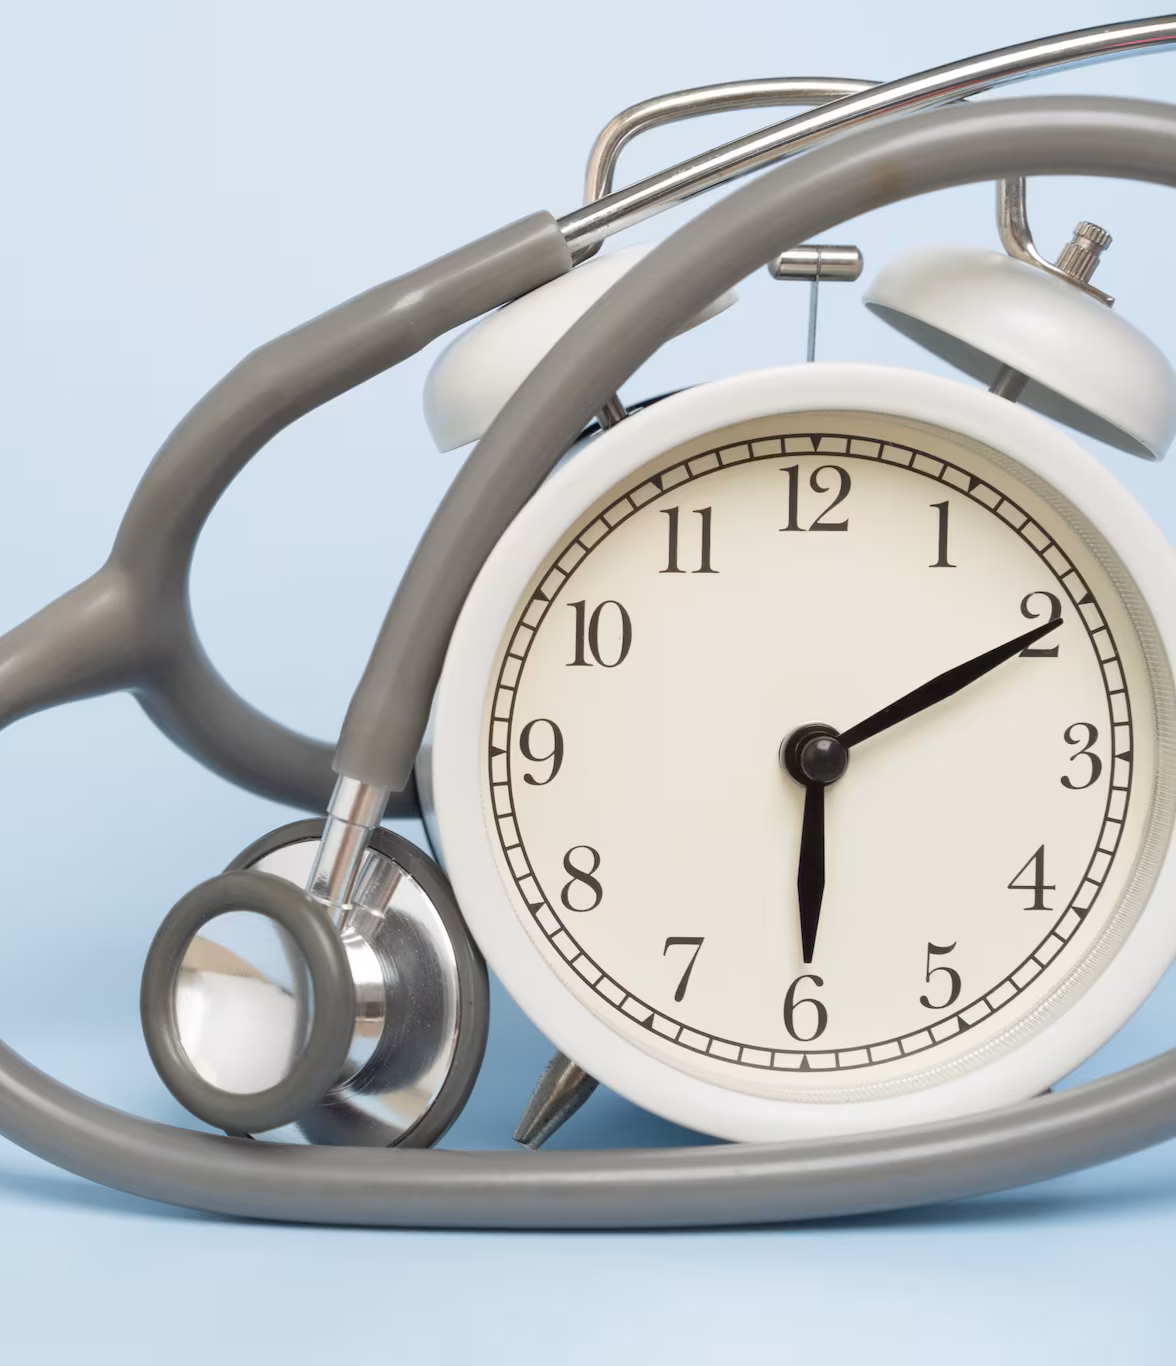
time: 6:10
